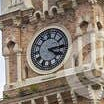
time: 4:14
